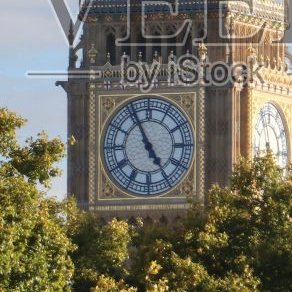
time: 4:55
